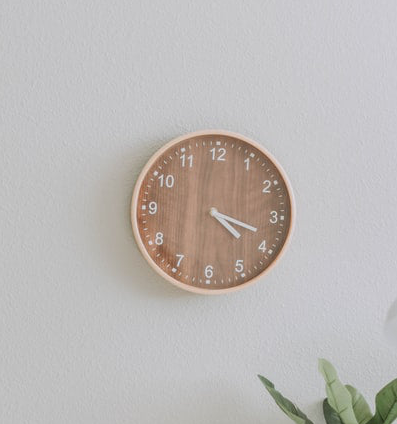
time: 4:18
